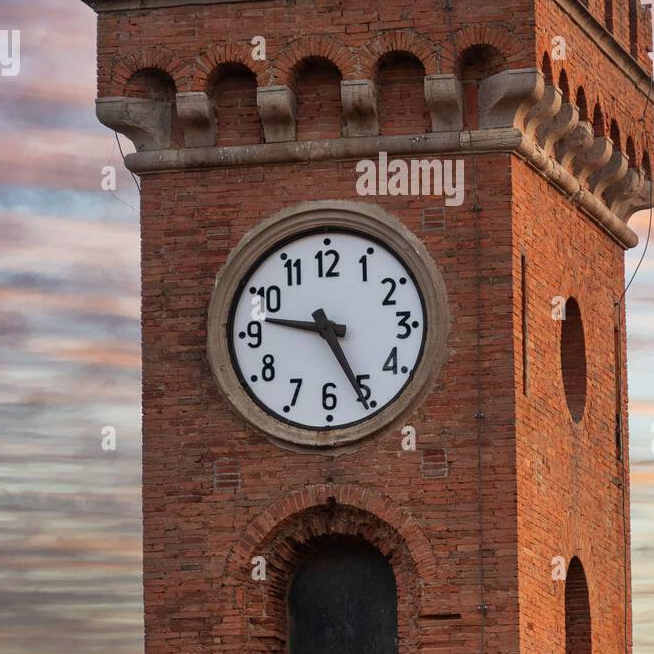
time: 9:25
